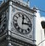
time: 12:13
